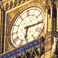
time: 6:15
